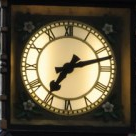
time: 7:12
